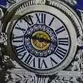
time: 9:17
